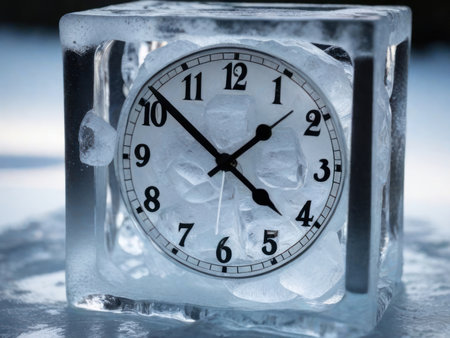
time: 1:51
